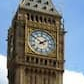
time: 1:50
